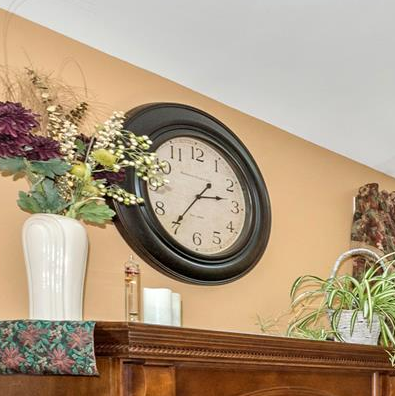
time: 2:35
